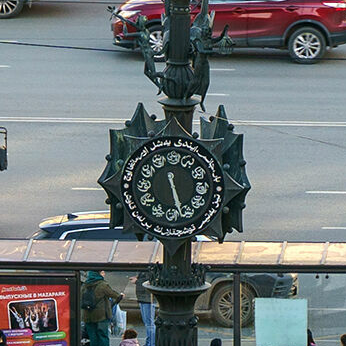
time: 5:26
